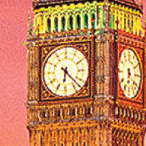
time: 6:22
